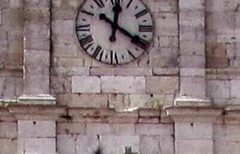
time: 12:20
